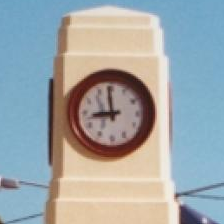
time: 8:58
